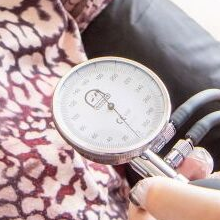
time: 10:22
